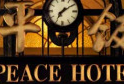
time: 7:09
